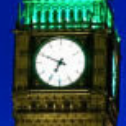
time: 6:48
